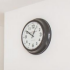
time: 12:50
